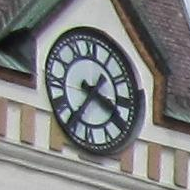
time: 3:35
